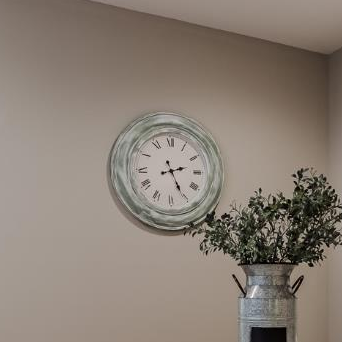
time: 2:25
